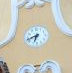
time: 6:41
